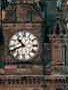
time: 10:41
